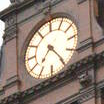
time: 7:24
